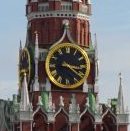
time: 3:21
